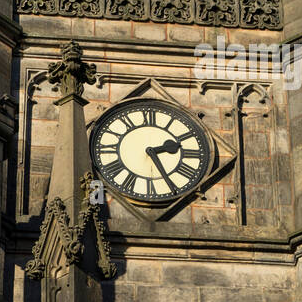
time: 2:25
